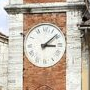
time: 3:08
